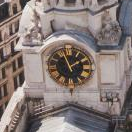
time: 1:56
